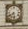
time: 5:40
